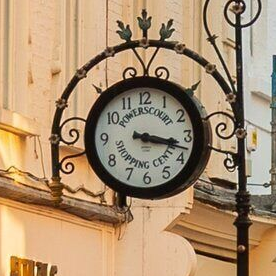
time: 3:17
